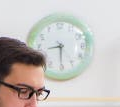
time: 8:29
